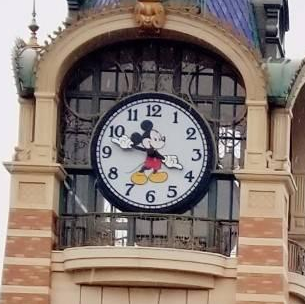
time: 11:47
